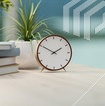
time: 1:50
